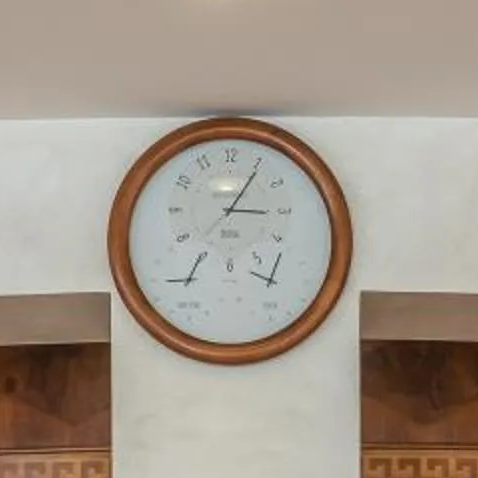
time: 3:05
